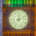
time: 12:10
